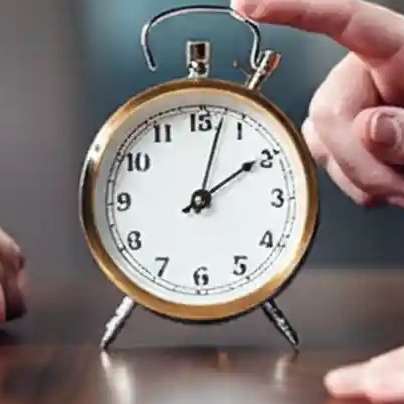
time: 2:02
